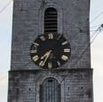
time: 7:34
